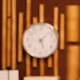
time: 5:07
